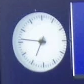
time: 6:46
